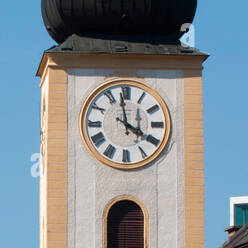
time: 3:58
